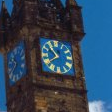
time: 10:39
